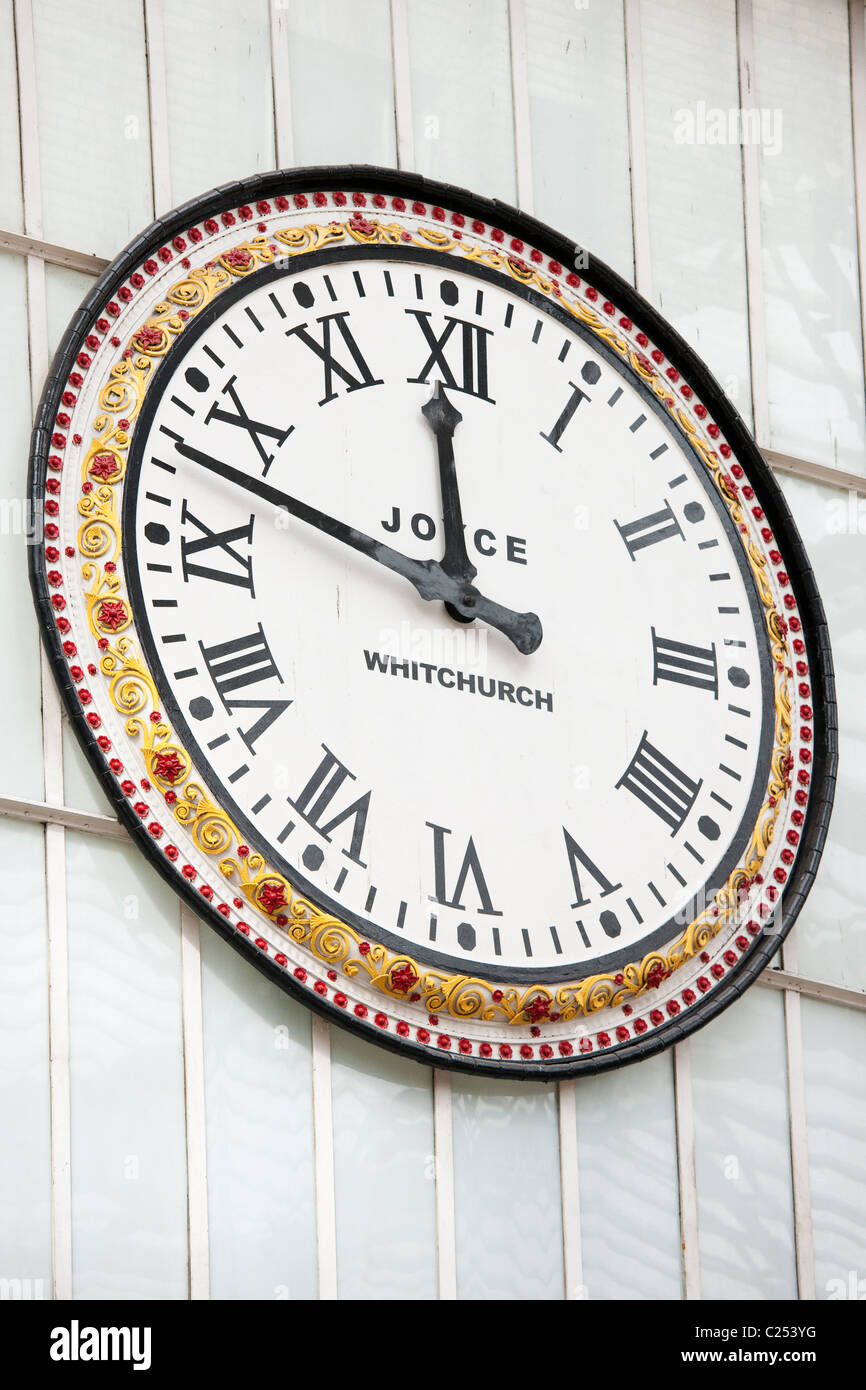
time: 11:47
